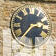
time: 2:36
